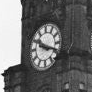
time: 10:18
